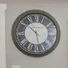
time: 10:28
